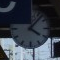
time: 4:07
